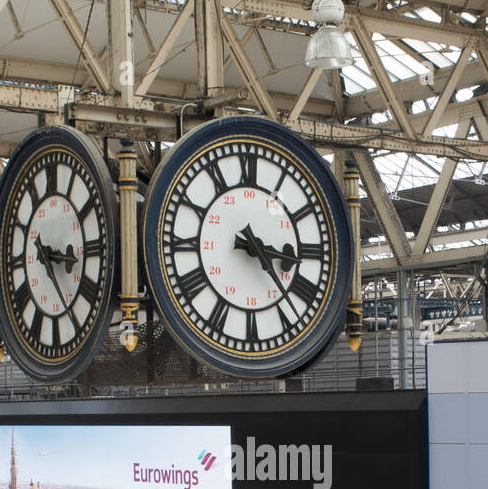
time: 3:23
